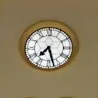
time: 7:27
